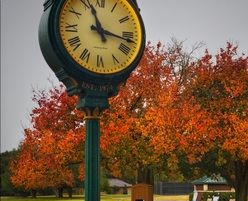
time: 11:16
